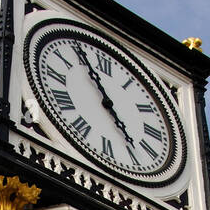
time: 4:55
